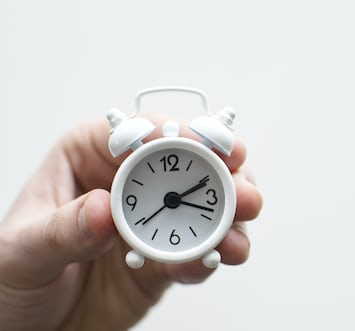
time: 2:18
